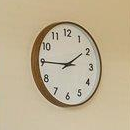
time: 1:45
